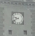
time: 9:38
